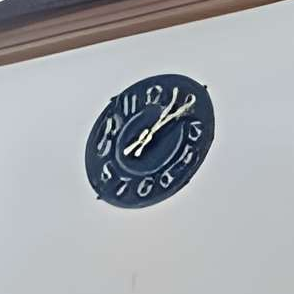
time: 1:09
